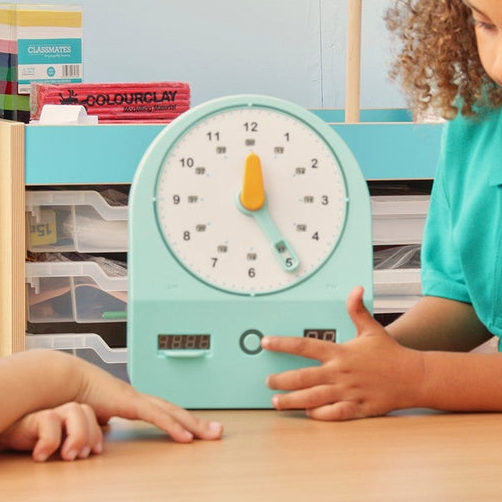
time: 12:24
